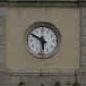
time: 5:49
